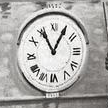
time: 11:05
